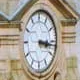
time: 3:16
